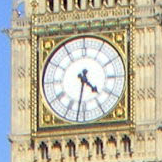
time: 4:31
